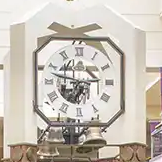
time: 6:47
